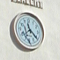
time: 11:21
